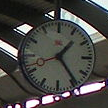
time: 1:24
